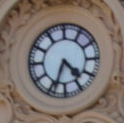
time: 4:33
